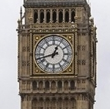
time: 12:42
